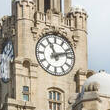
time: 11:11
